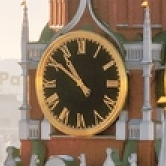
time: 10:50
